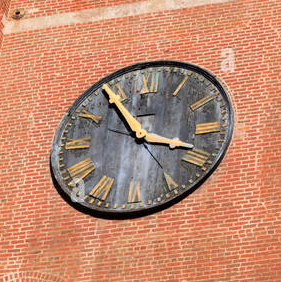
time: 3:54
